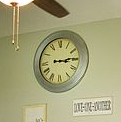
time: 3:14
